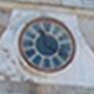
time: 3:56
